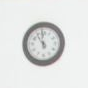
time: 10:58
